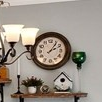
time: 2:06
